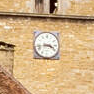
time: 3:43
